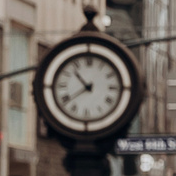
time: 10:38
